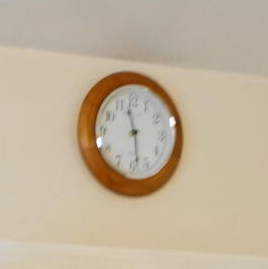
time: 11:28
